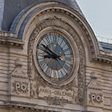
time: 8:49
